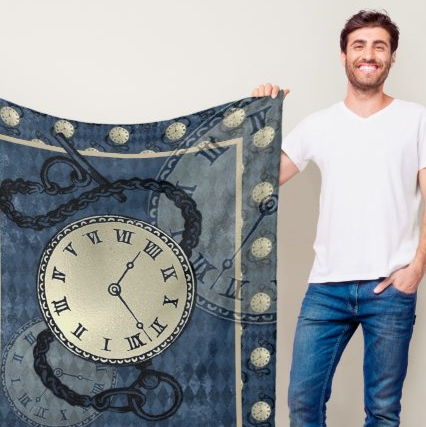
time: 1:22
